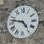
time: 4:46
